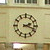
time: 2:18
